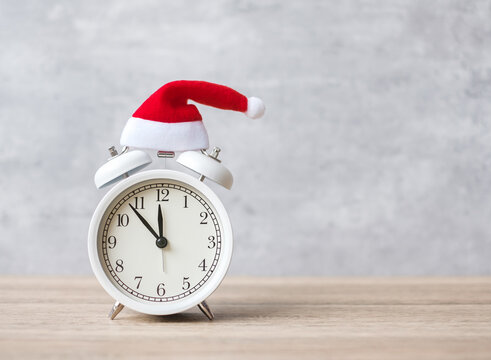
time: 11:53
